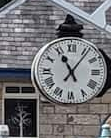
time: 11:06
